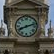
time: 8:12
